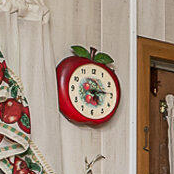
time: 5:14
